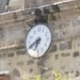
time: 6:40
